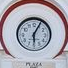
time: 6:04
